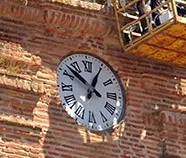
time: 12:52
